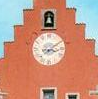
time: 3:09
